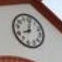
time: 8:00
